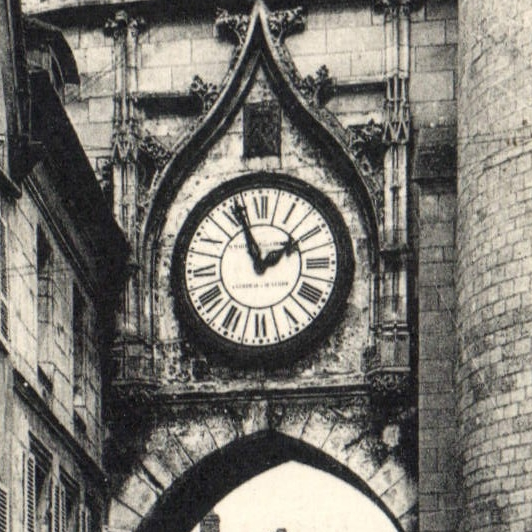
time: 1:56
